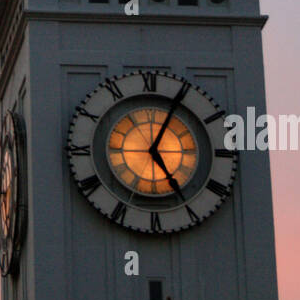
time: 5:04
